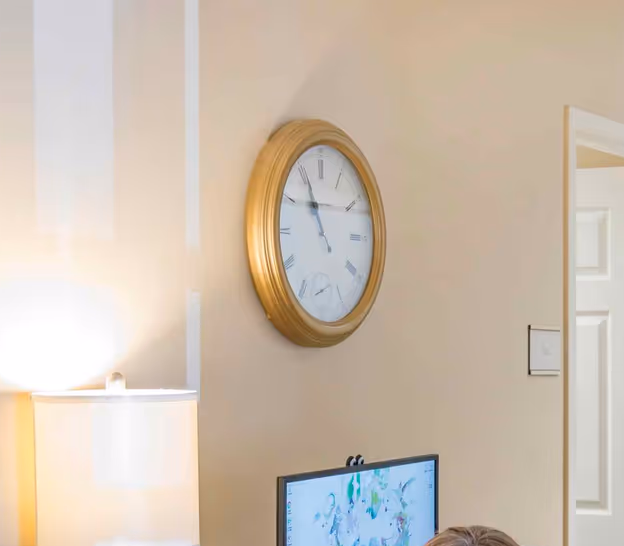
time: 10:55
